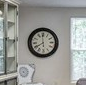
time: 7:59
